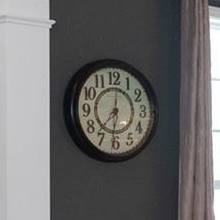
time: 7:31
